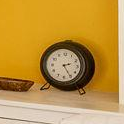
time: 2:24
